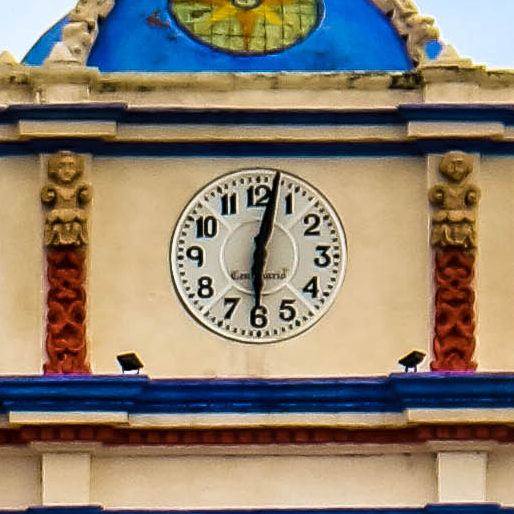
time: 6:02
